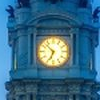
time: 6:52
